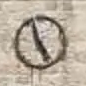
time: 4:57
